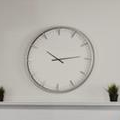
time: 10:13
